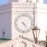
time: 4:23
